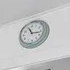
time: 11:16
